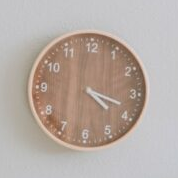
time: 4:18
